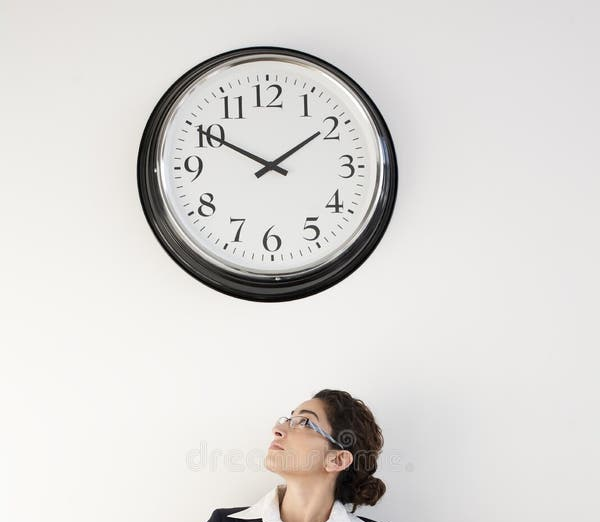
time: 1:50
